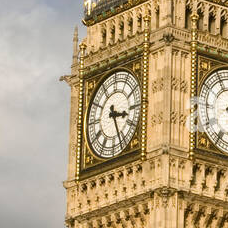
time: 3:26
